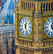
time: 12:26
